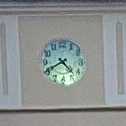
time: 4:40
